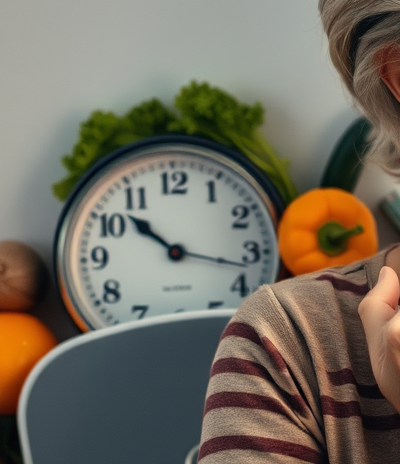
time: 10:17
